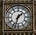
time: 1:33
